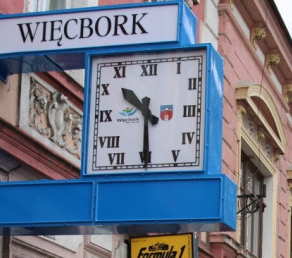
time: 10:30
